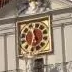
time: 11:32
